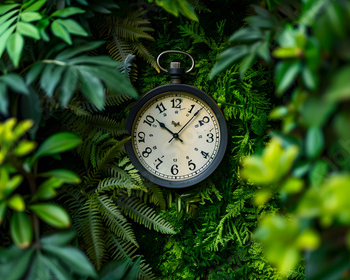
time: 10:07
